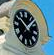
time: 10:07
